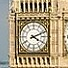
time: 4:11
